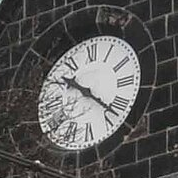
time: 10:22
